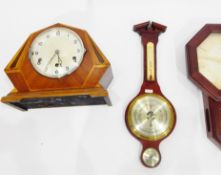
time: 5:35
